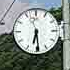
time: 6:29
